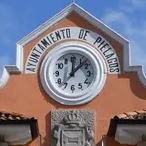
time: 12:07
